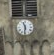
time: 11:31
